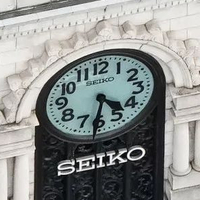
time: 4:31
